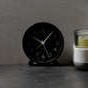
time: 10:06
